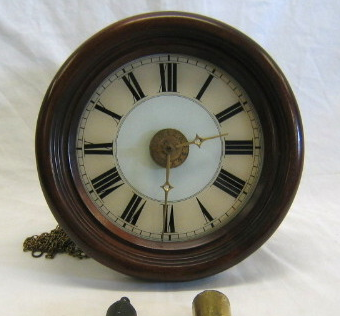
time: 2:29
